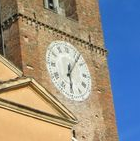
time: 6:06
